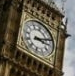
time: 3:11
